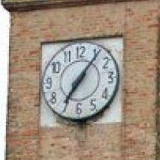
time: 7:06
